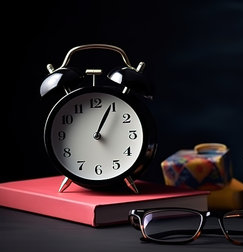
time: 1:04
